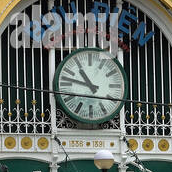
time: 10:47
